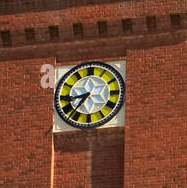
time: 8:36
